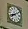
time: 8:09
